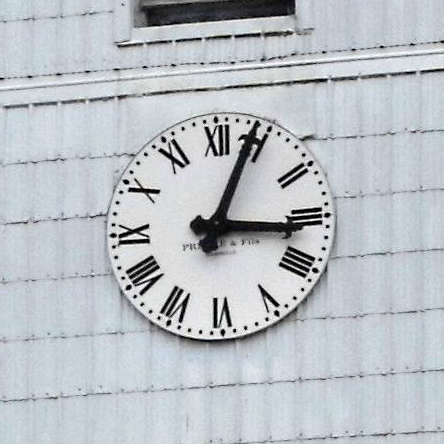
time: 3:04
